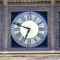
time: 6:47
